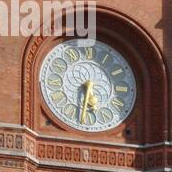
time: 5:31
